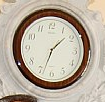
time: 1:33
